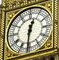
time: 12:31
